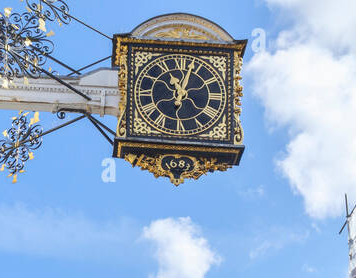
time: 11:02
